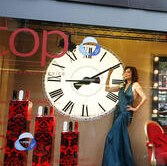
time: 3:09
